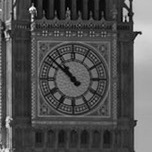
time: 10:51
